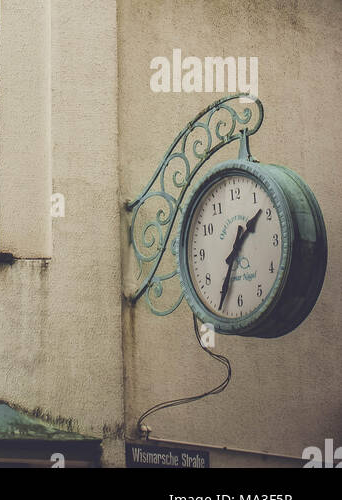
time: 1:34
